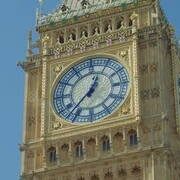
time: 12:37
